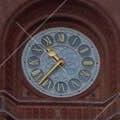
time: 10:36
